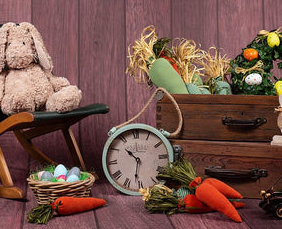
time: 10:32
